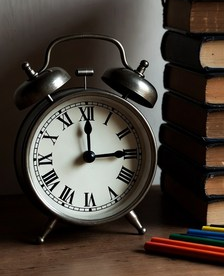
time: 12:14
